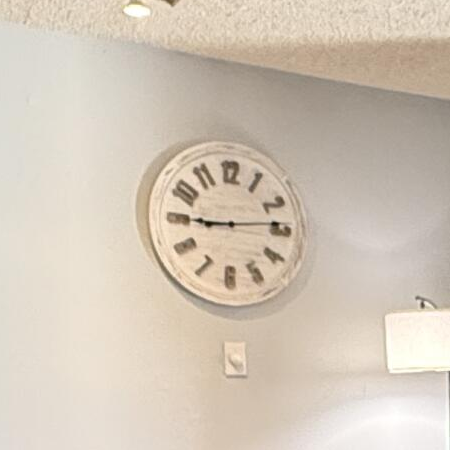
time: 9:13
